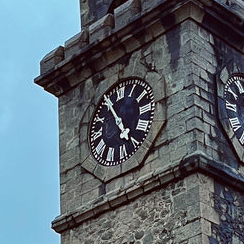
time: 4:55
